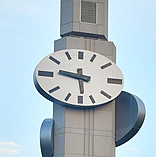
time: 5:46
